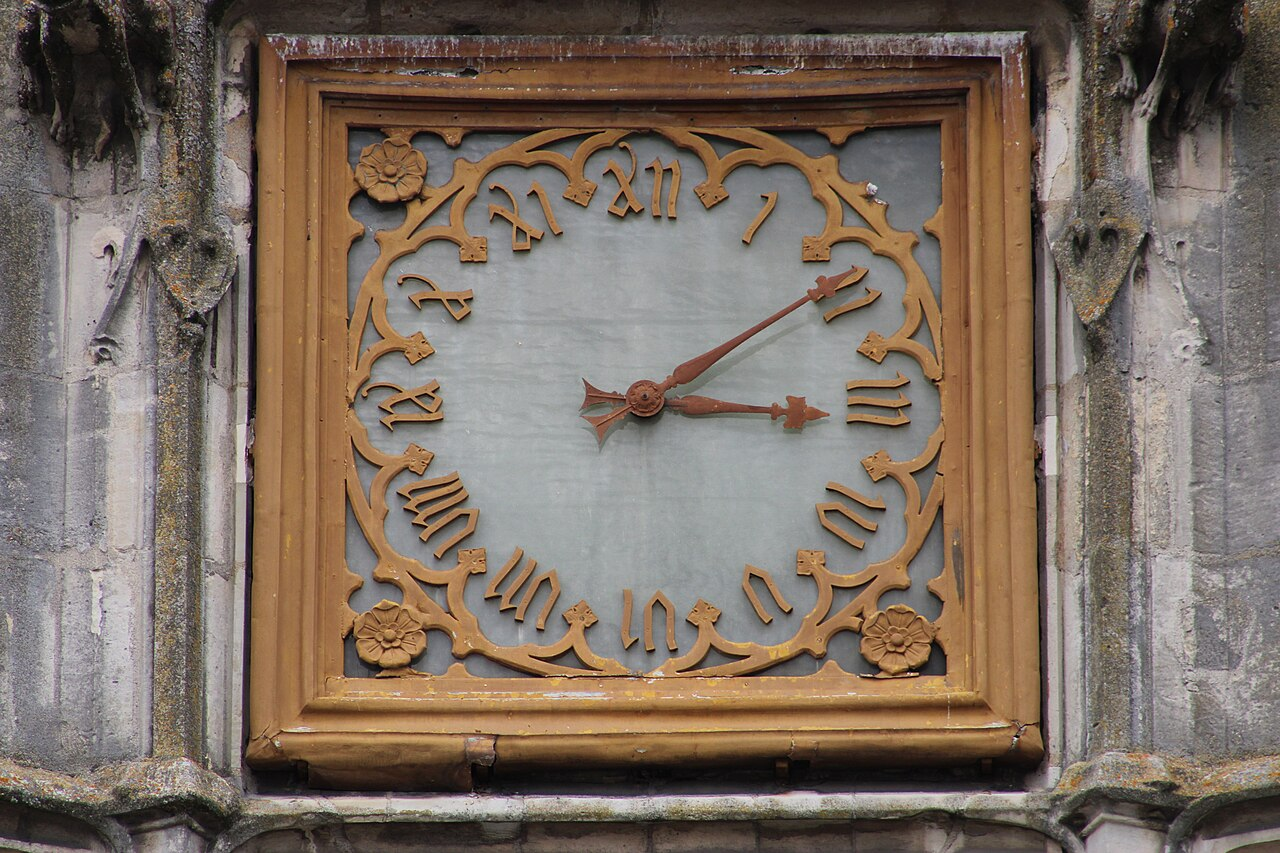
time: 3:09
